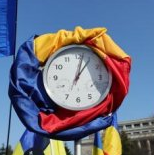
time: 1:02
